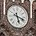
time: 5:18
